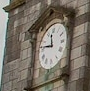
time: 11:46
